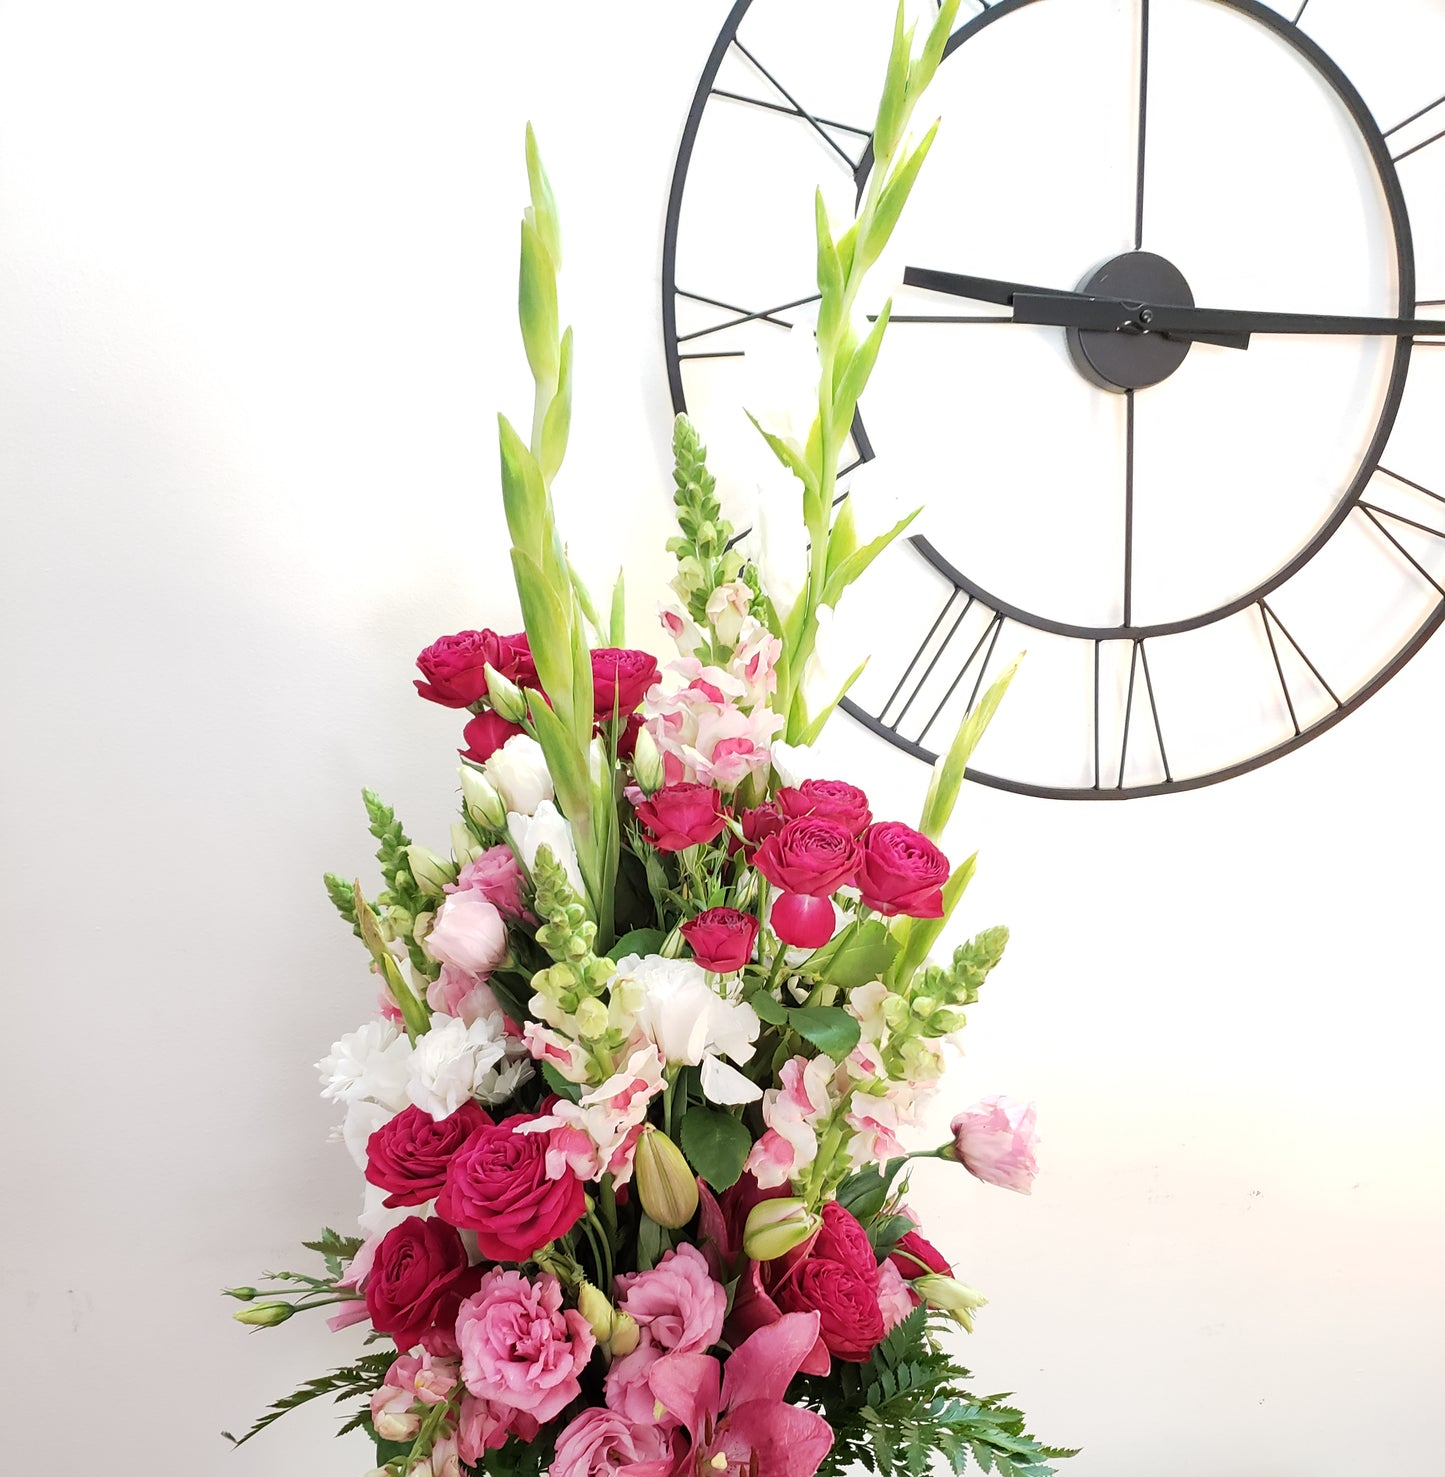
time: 9:15
